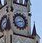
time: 2:42
